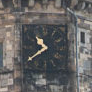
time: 10:39
